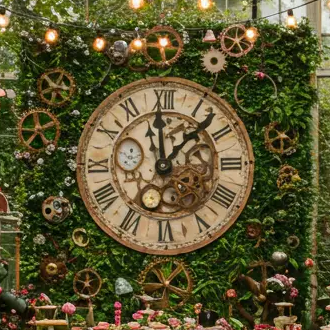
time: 12:07
